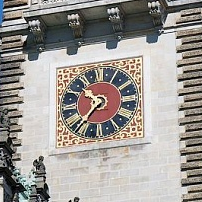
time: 10:37
